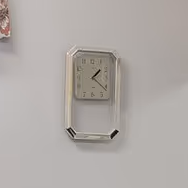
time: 1:20
